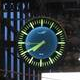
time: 7:40
